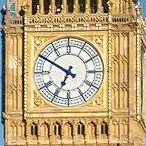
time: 6:50
